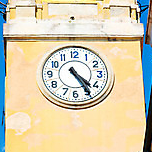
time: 4:24
